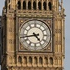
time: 4:43
